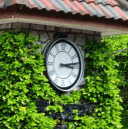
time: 3:13
